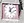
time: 11:07
